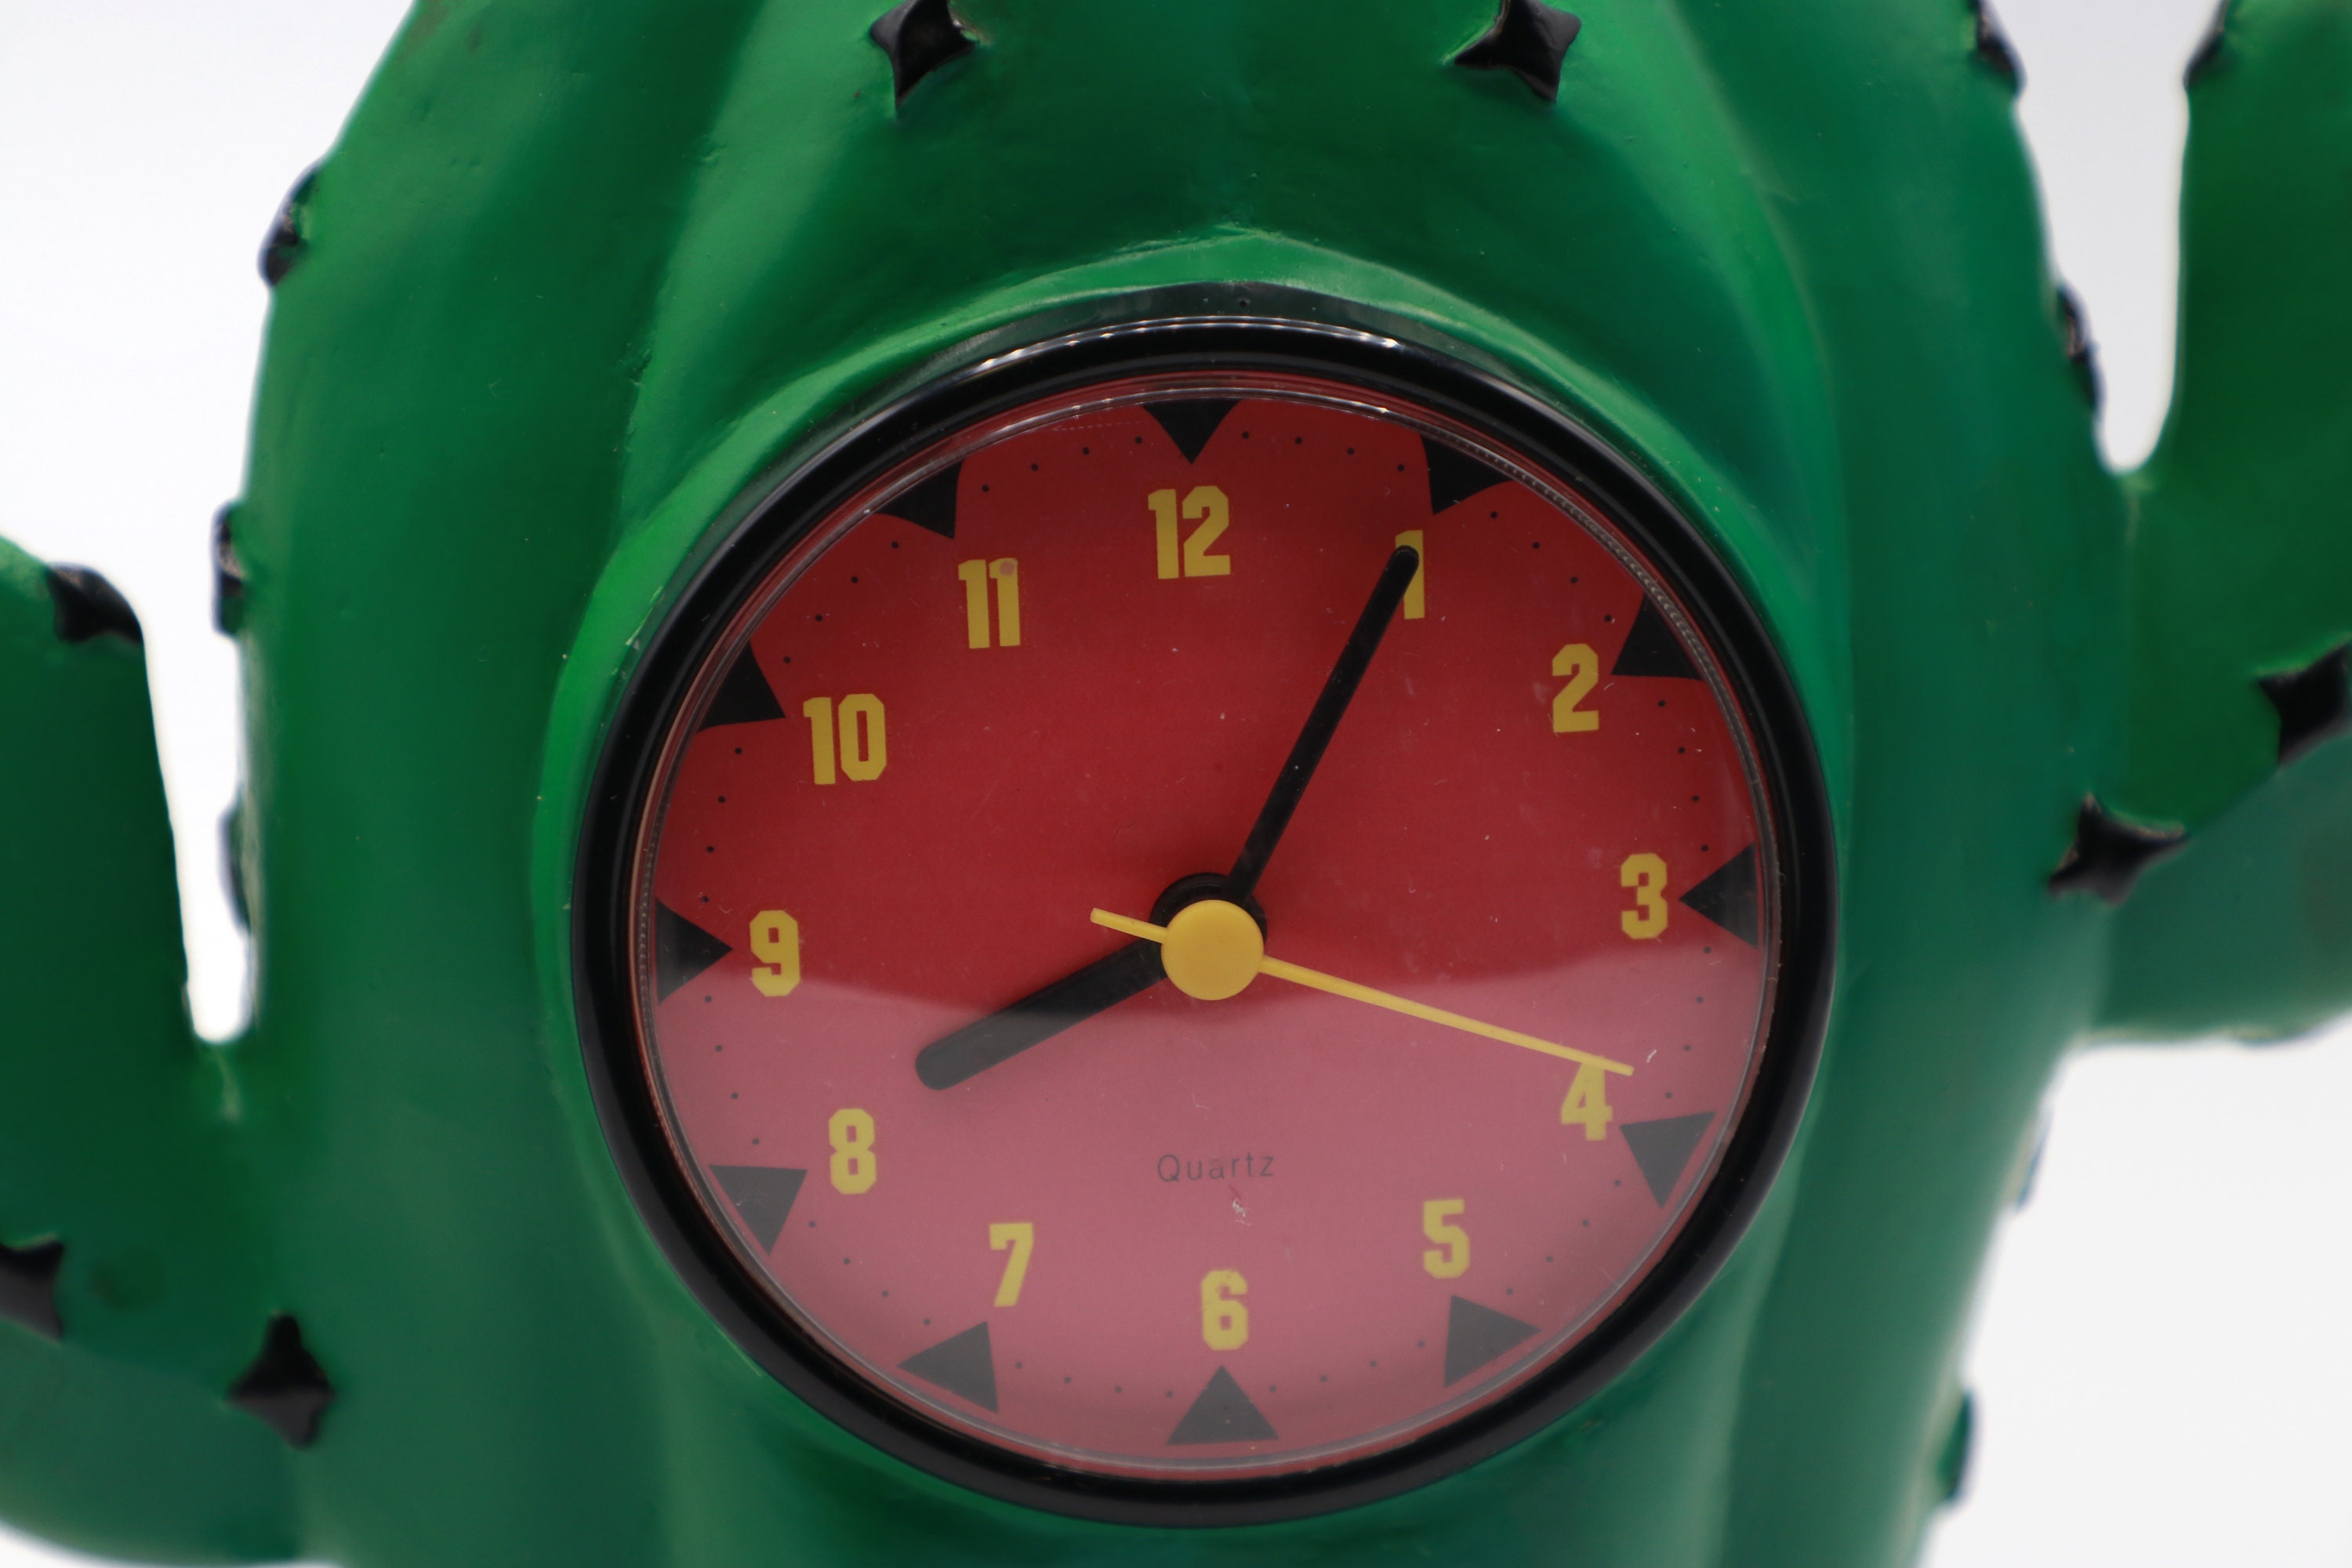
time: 8:05
